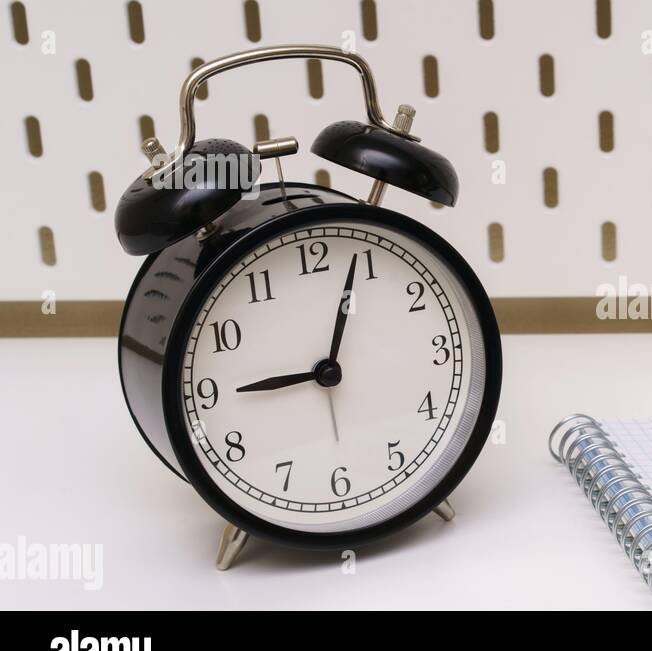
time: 9:03
